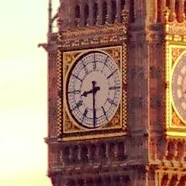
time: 8:30
